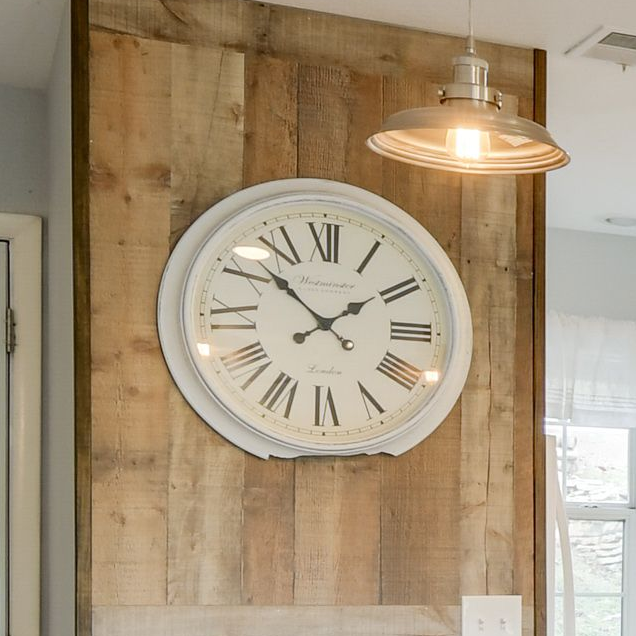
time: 1:51
